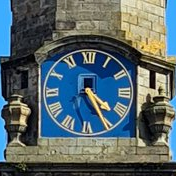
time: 4:25
